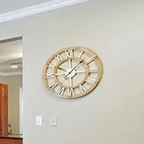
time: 10:07
